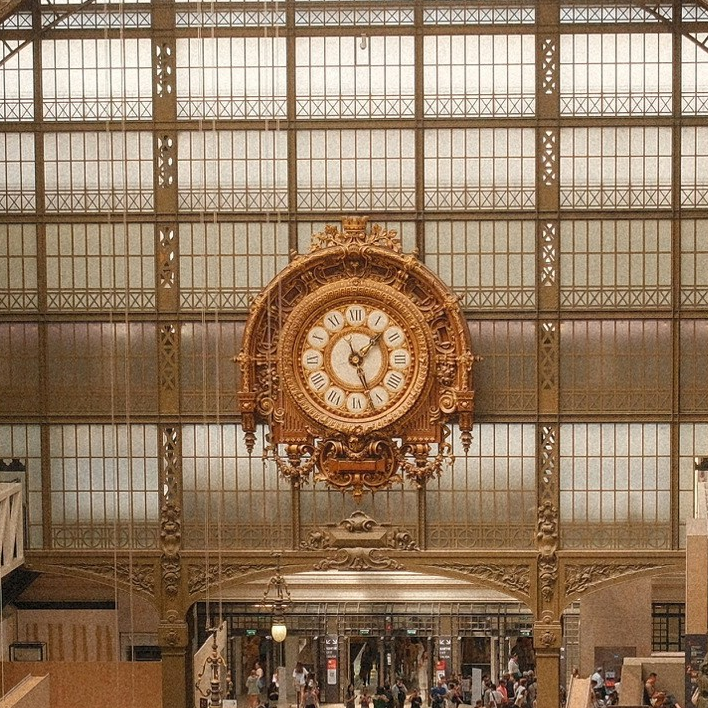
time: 1:26
